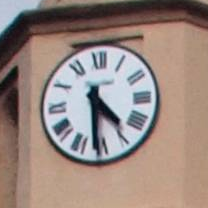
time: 4:30
